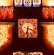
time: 6:18
